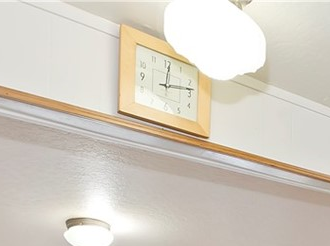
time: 12:13
